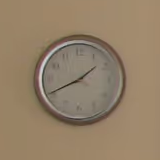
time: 1:40
